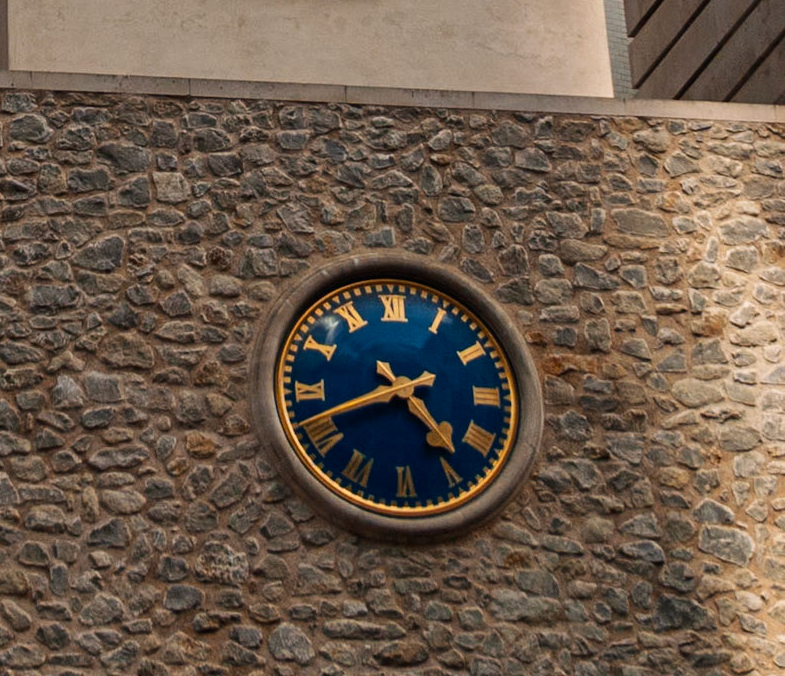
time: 4:41
